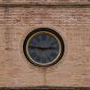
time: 2:46
